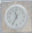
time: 11:35
